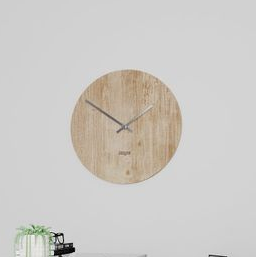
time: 1:50
